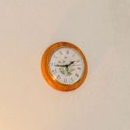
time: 1:43
